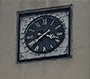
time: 3:39
